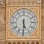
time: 5:30
